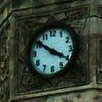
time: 10:20
